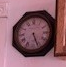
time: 5:26
